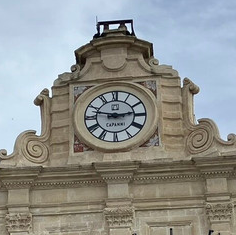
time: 2:47
